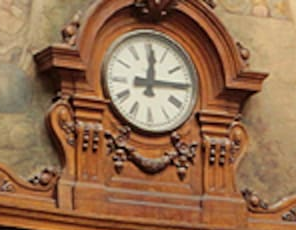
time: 12:14
